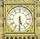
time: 5:30
